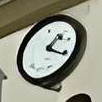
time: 1:20
